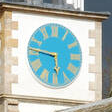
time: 5:46
